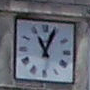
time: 11:03
